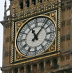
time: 11:07
